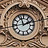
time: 1:56
